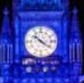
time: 10:21
